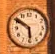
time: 5:50
